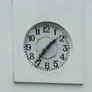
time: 1:36
